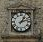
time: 1:12
